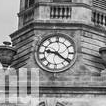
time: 9:21
